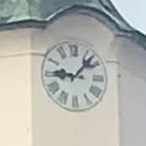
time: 9:07
